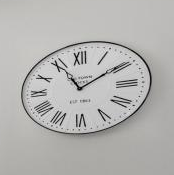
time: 11:09
